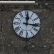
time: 12:16
